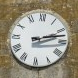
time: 2:12
